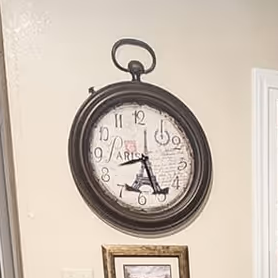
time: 8:25
